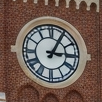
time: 3:04
